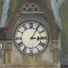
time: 3:05
